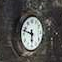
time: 5:47
